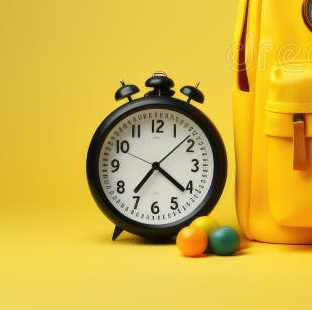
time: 7:21
